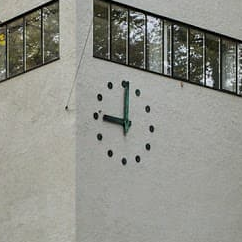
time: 9:00
